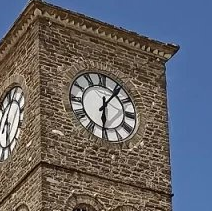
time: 6:06
